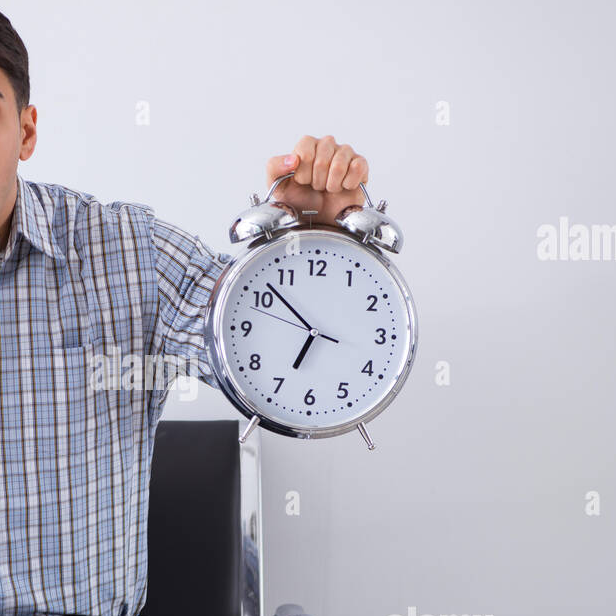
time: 6:52
